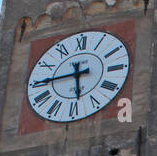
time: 5:44
